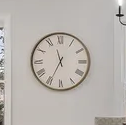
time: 11:34
